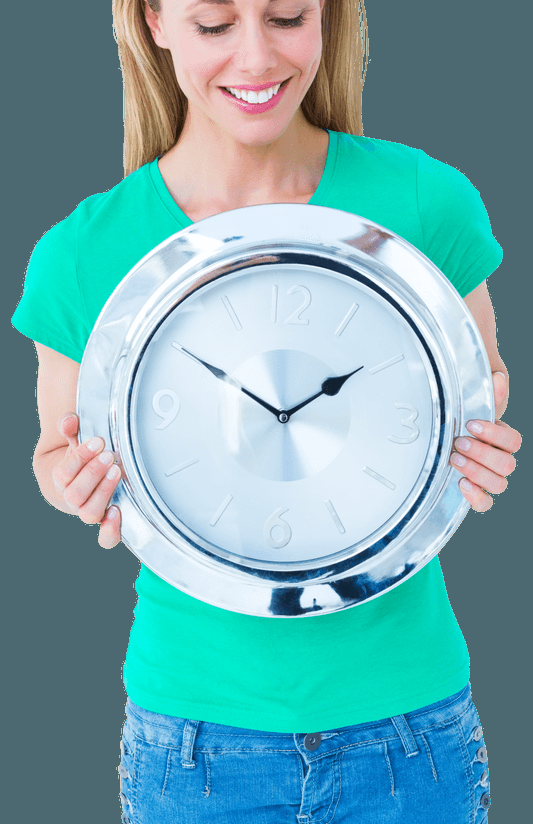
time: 1:50
